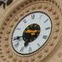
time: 6:44
